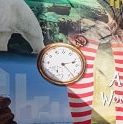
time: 2:23
